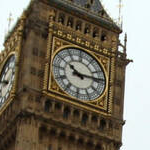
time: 10:13
